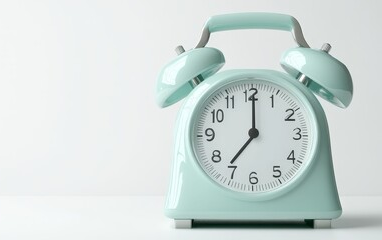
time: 7:00
